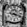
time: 9:18
